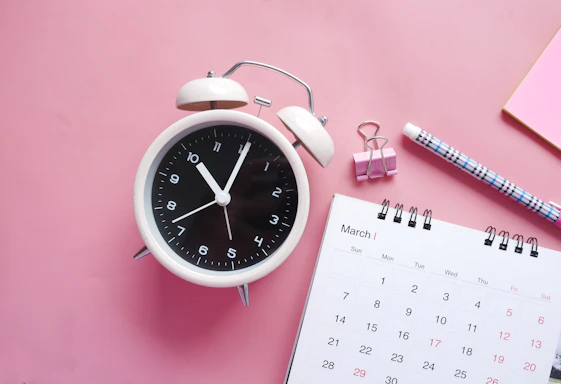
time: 11:05
